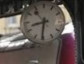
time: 8:31
